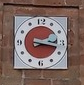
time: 2:17
